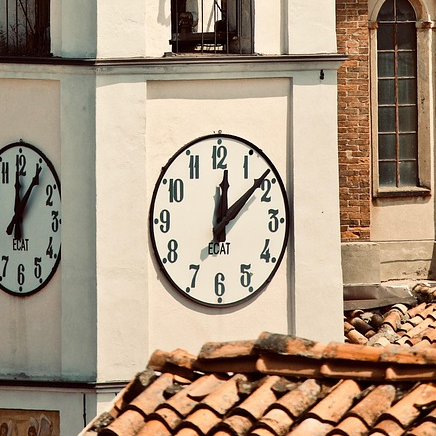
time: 12:08
